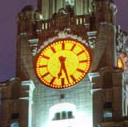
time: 6:27
